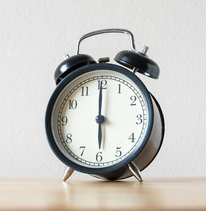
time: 6:00
